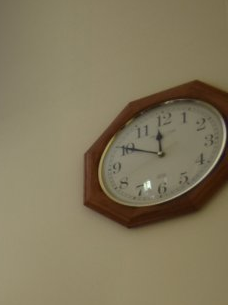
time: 11:49
